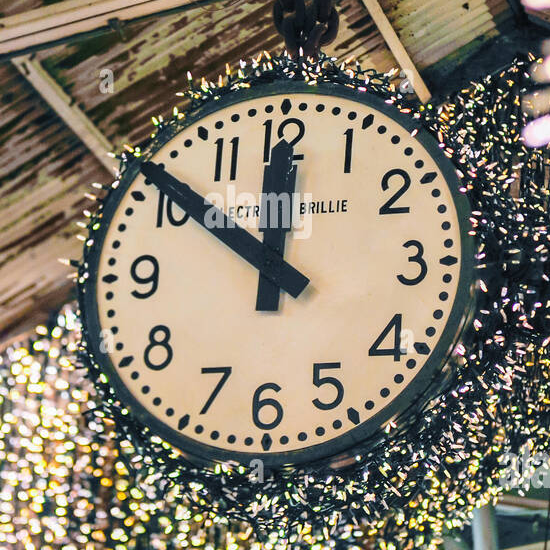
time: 11:51
